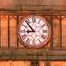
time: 8:52
